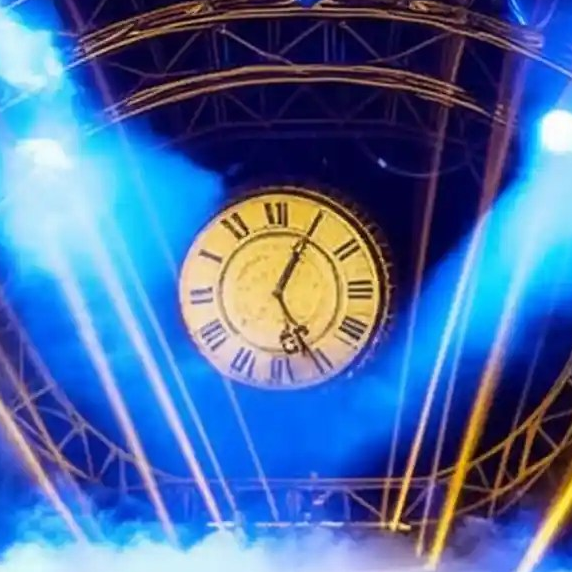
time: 5:05
